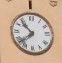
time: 10:38
